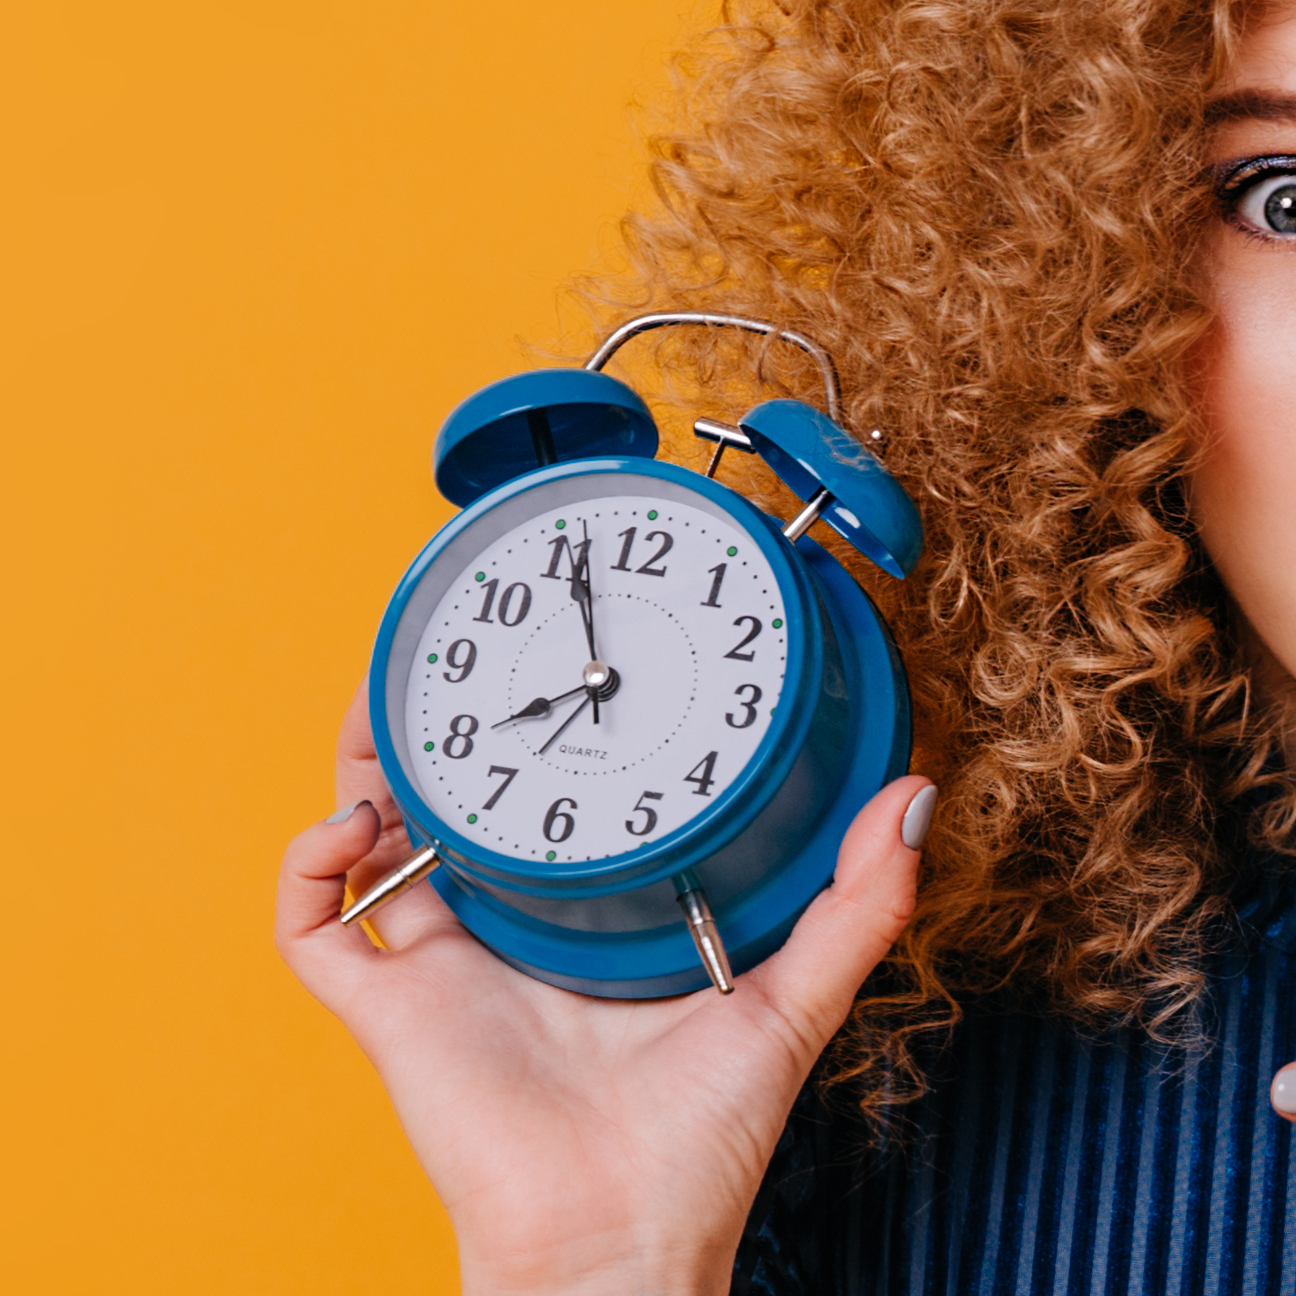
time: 7:55
